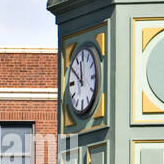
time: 11:50
